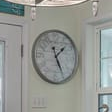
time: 1:25
